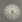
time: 4:31
